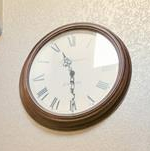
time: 11:29
